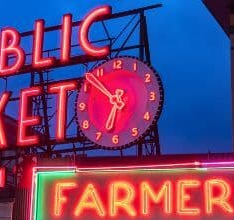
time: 6:52
